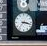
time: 3:17
